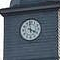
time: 3:58
